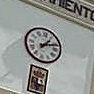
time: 1:11
